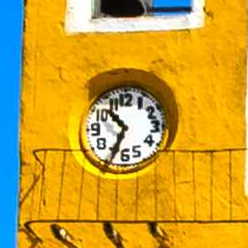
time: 10:34
